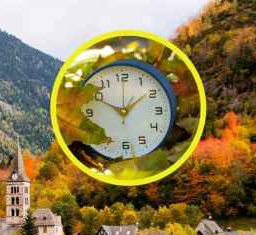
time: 1:50
